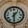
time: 1:30
